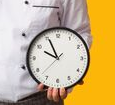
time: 9:55
